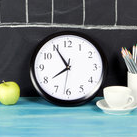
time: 7:54
